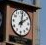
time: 2:01
